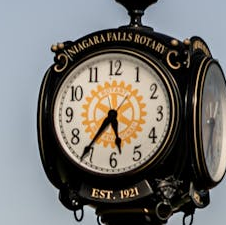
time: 5:36
